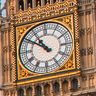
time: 10:50
